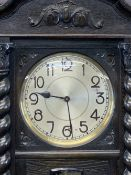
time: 9:28
